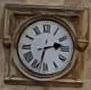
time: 2:32
